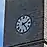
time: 2:23
